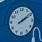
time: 2:09
